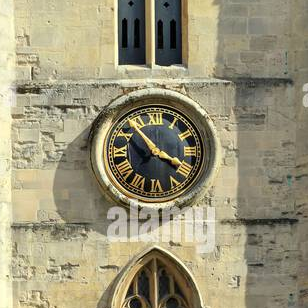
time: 3:52
